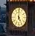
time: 5:00
